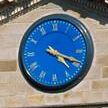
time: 4:18
